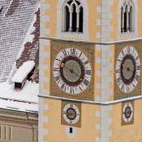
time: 3:48
